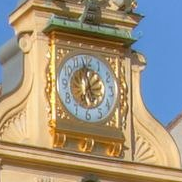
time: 5:59
